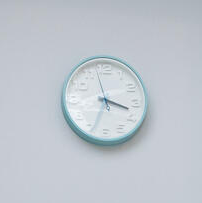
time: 3:33
